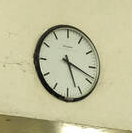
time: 5:18
